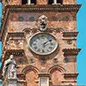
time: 6:08
